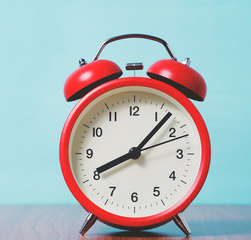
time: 8:07
